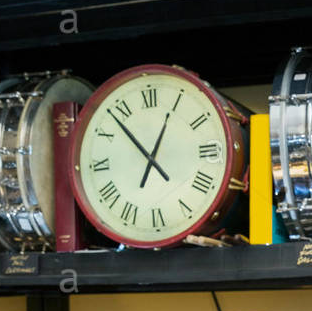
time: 12:53
